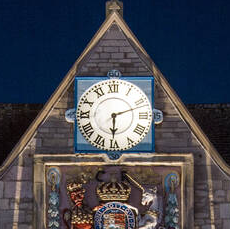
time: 6:11
